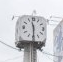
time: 11:29
